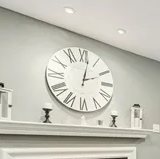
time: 2:01
